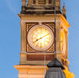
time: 8:10
